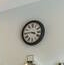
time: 3:45
